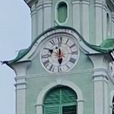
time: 5:49
